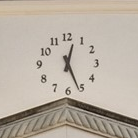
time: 12:26
